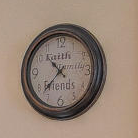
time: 10:37
